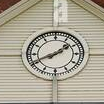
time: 1:41
